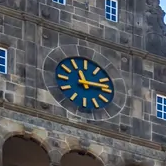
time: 11:13
